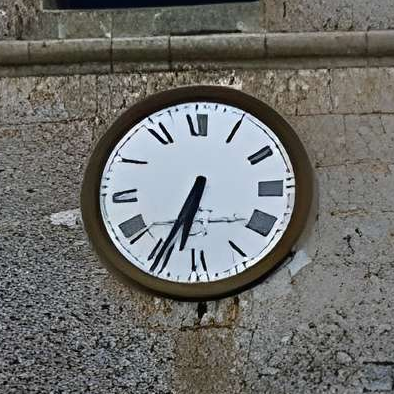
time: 6:34
